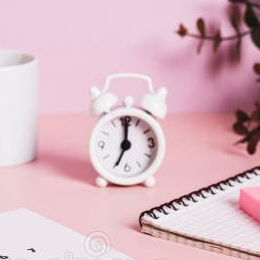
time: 7:00
